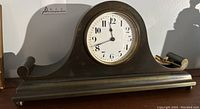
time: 11:41
